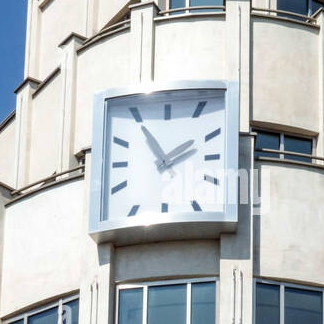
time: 1:54
